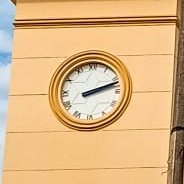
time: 2:11
